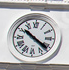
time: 10:20
